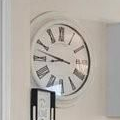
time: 8:47
